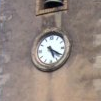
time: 5:20
